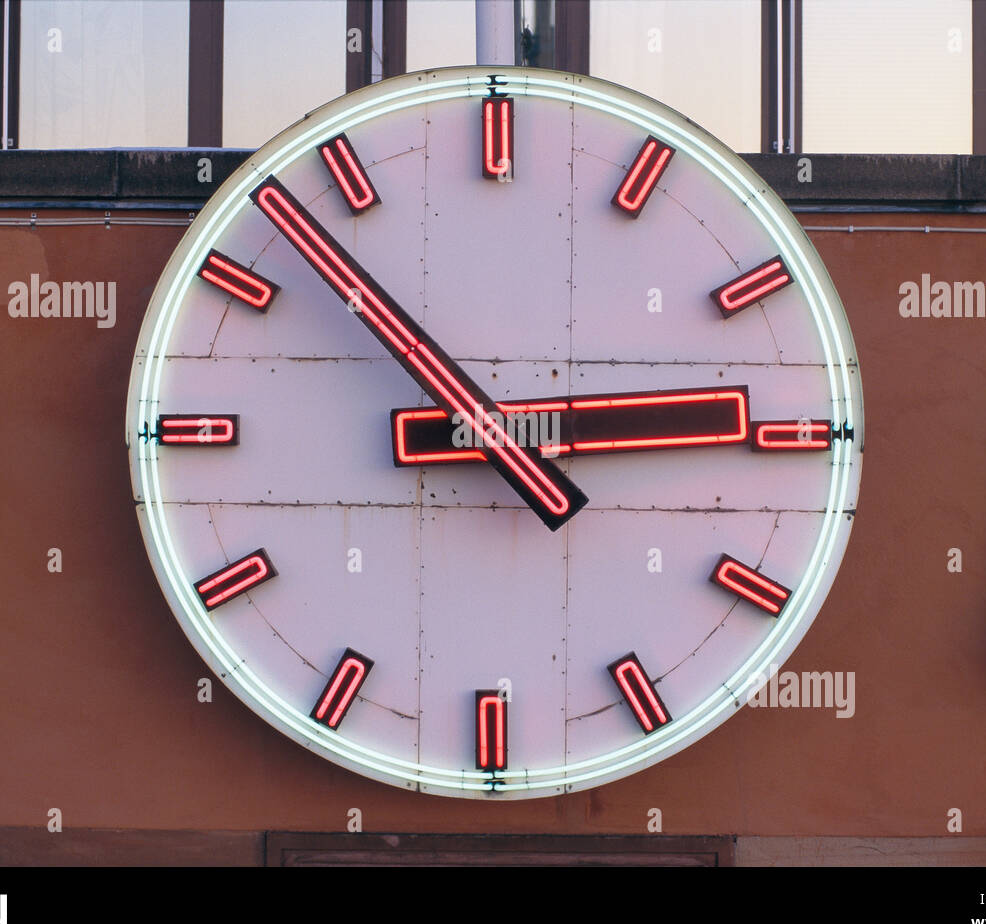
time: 2:52
